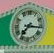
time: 7:16
